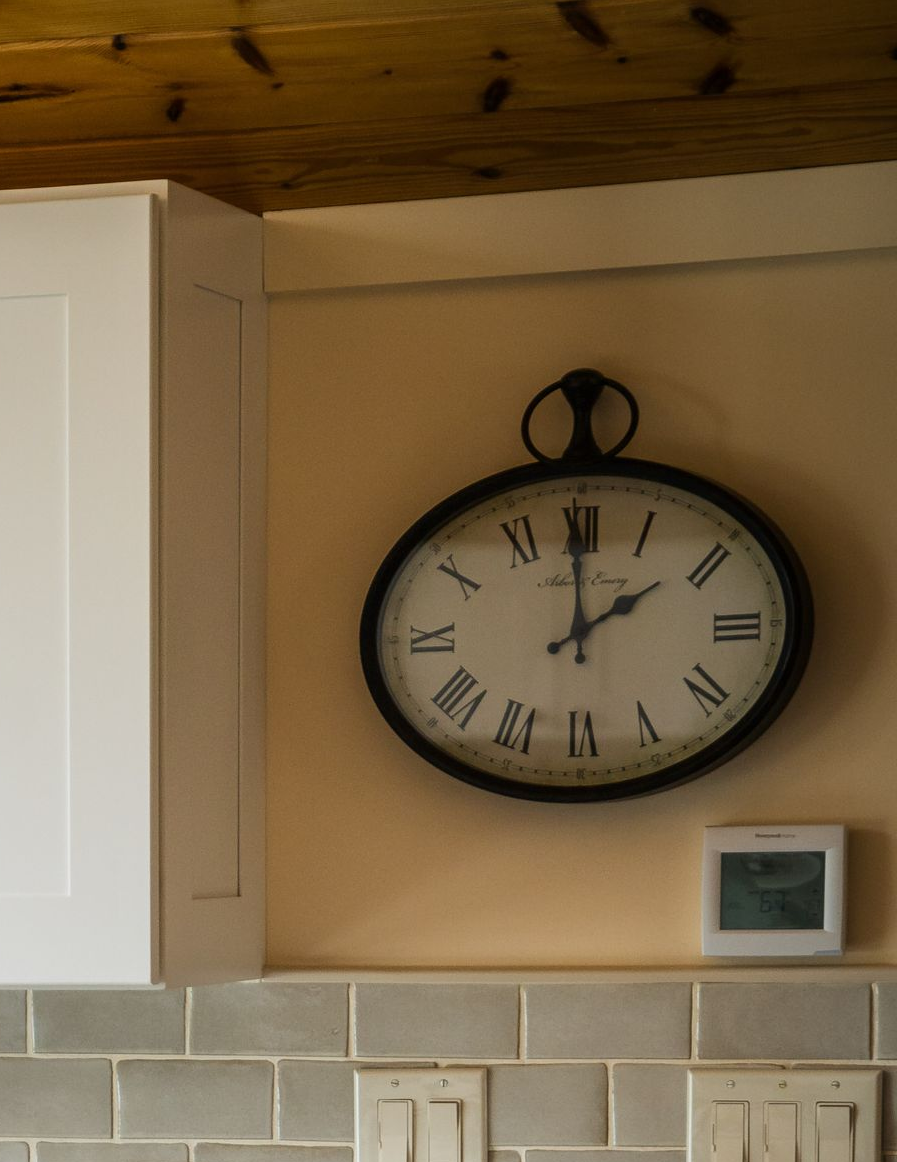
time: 1:59
